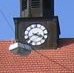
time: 3:40
